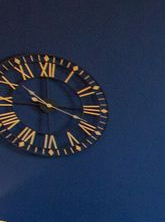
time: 10:18
